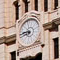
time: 8:40
